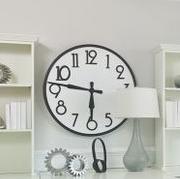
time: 5:46
